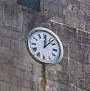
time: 12:07
